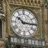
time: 10:15
